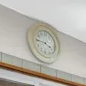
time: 3:45
